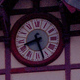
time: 8:27
